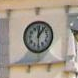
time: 12:06
